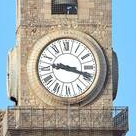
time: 9:18
